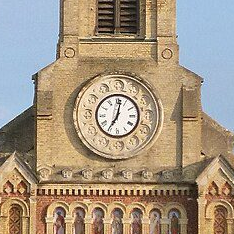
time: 7:01
